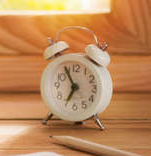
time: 6:54
